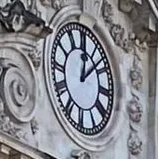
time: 12:07
